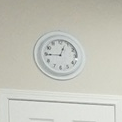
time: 12:44
